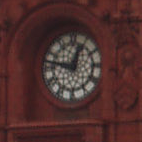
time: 12:47
